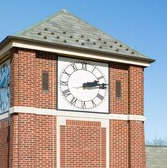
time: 2:13
